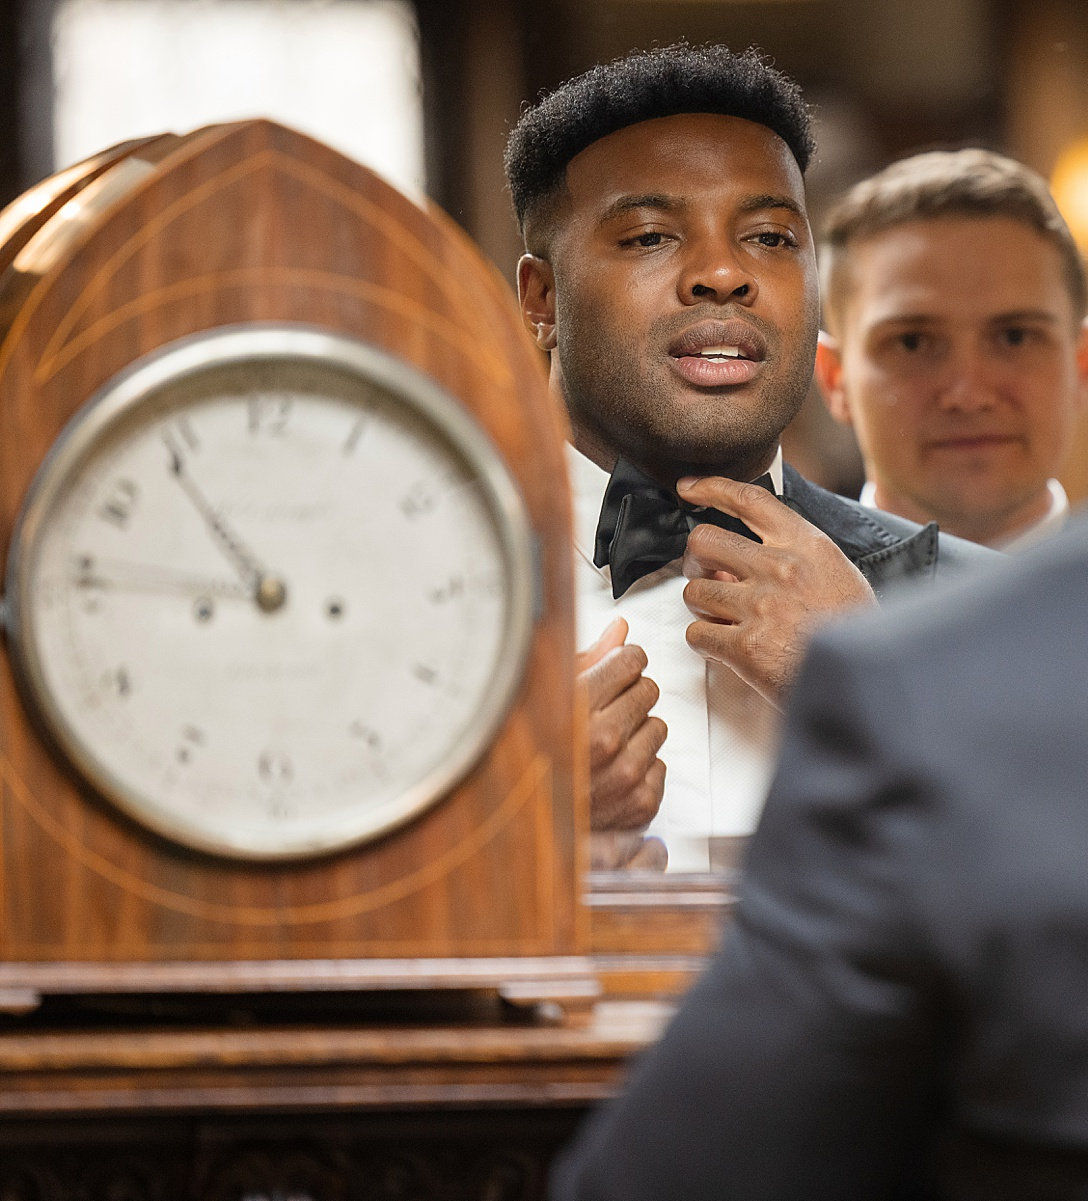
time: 10:46
